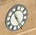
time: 11:25
